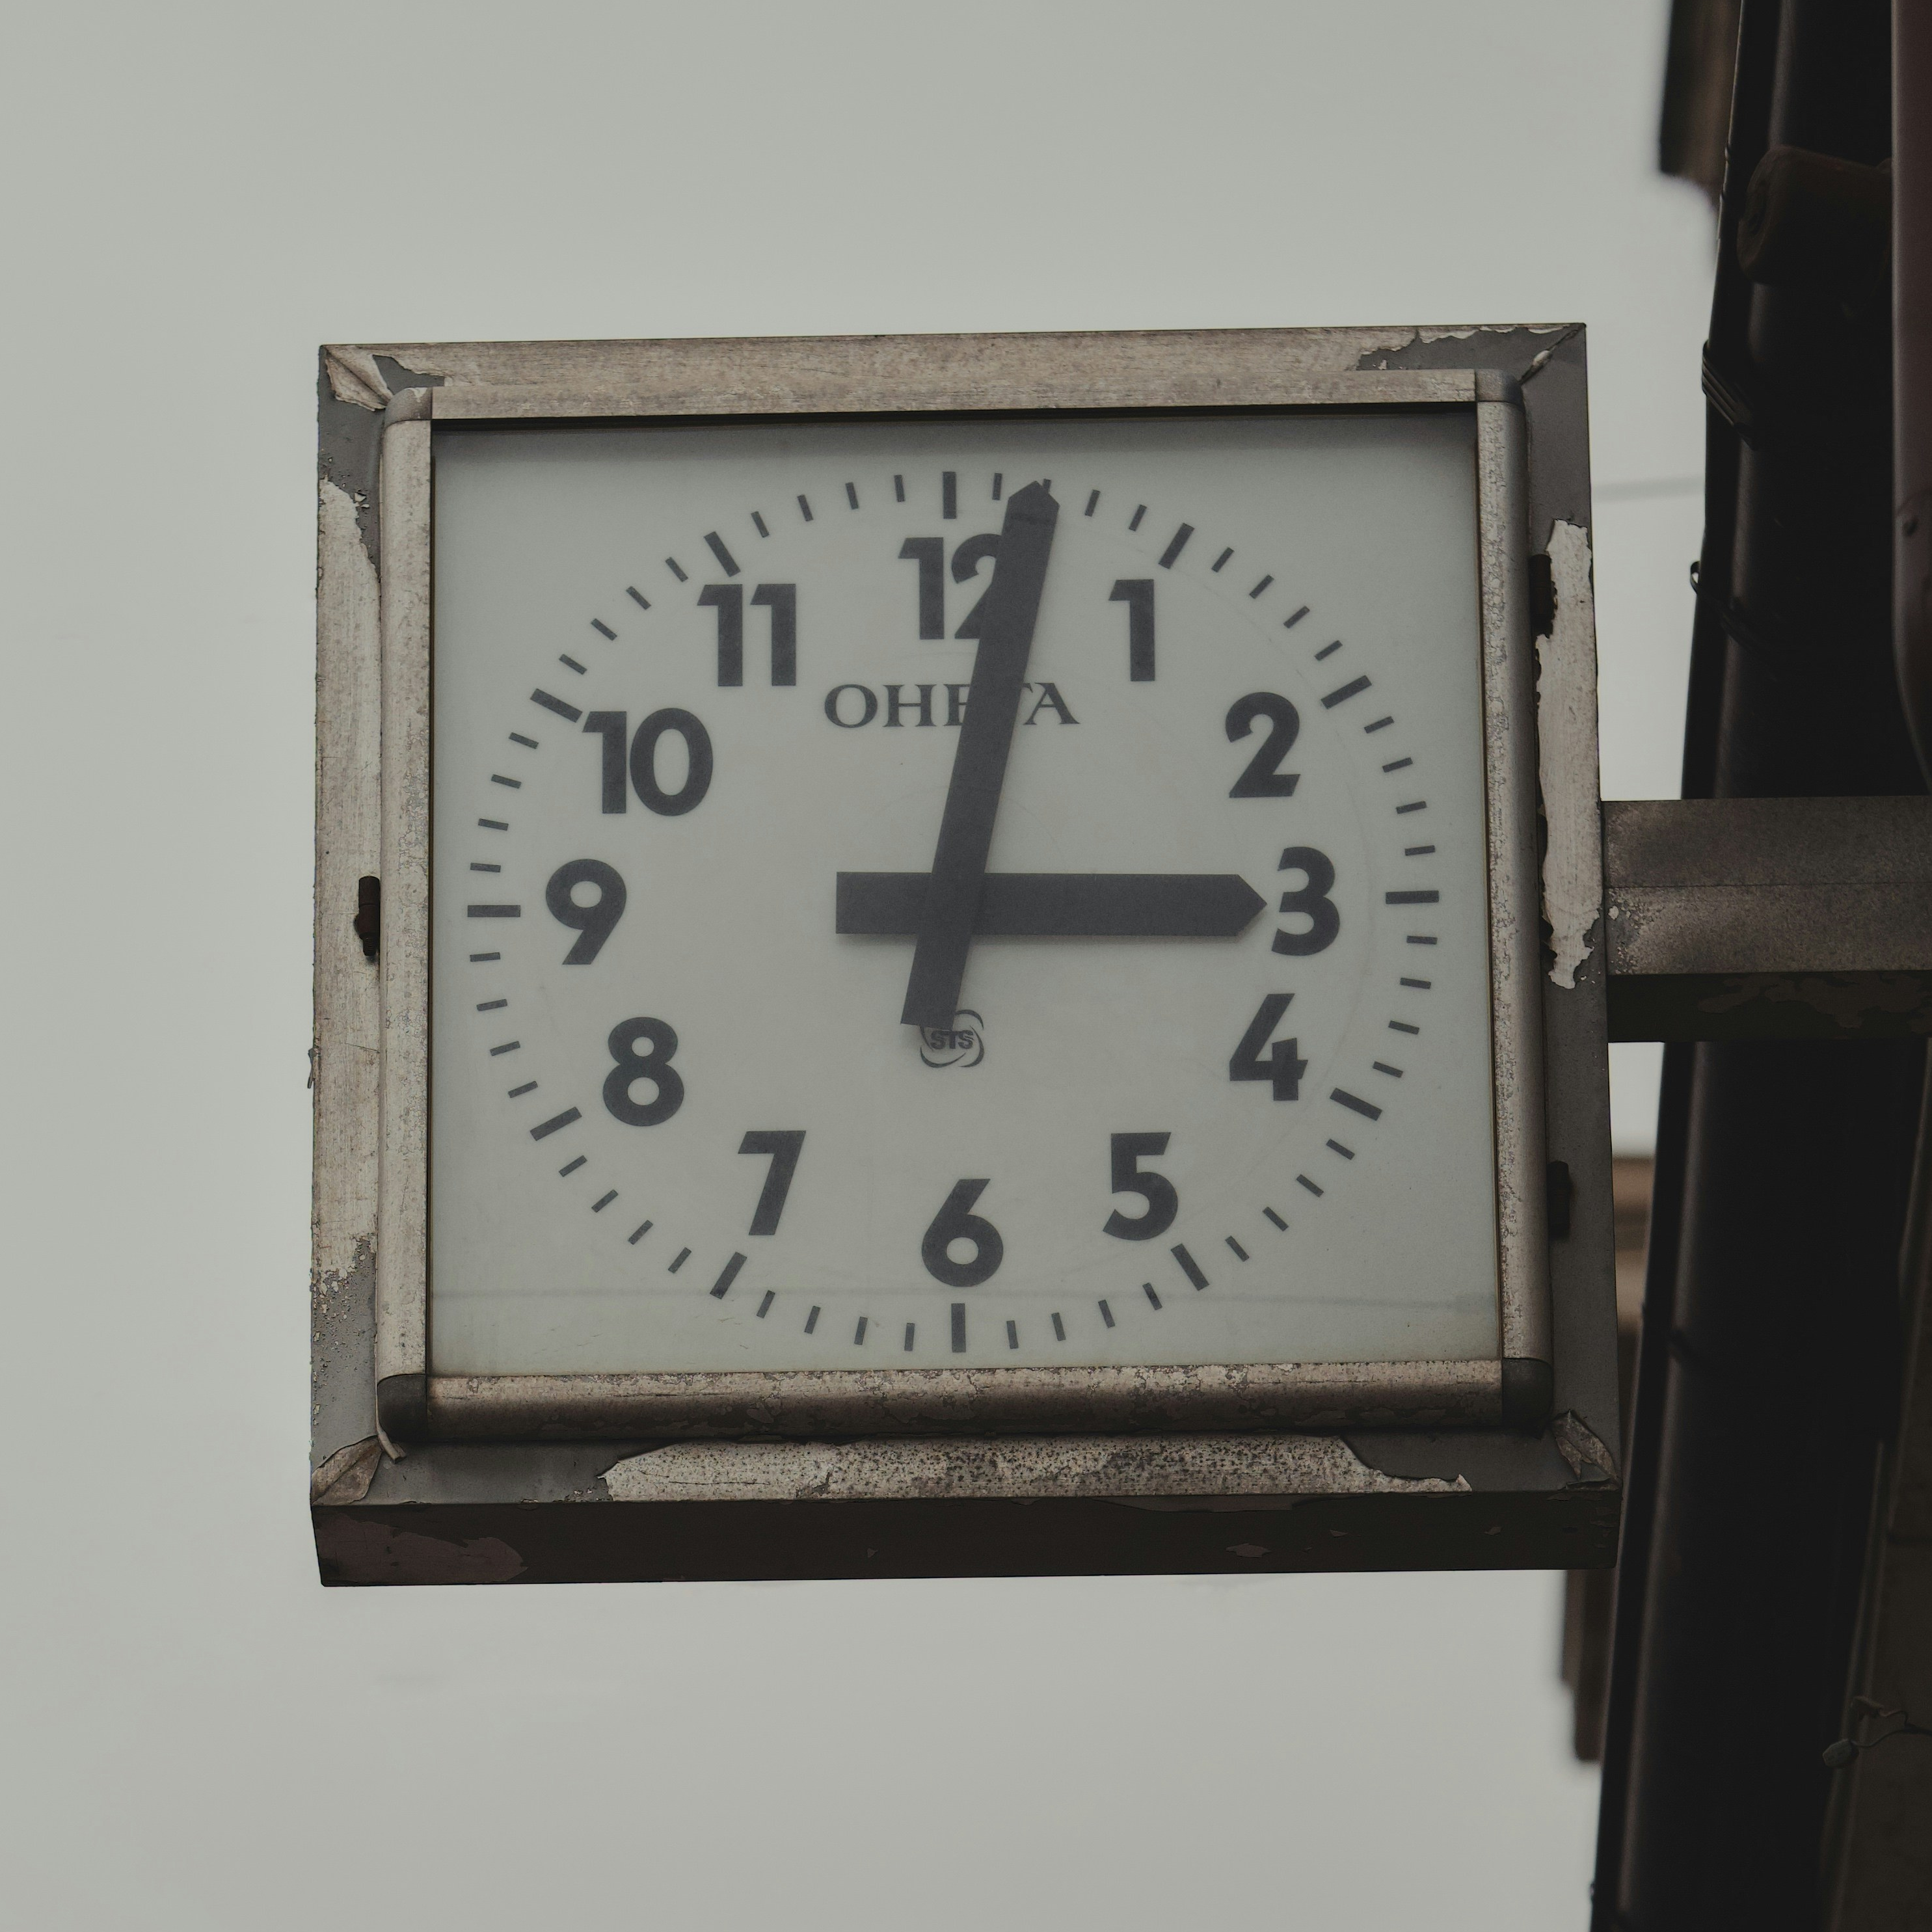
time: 3:01
